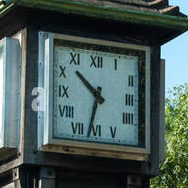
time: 10:32
